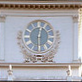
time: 12:29
